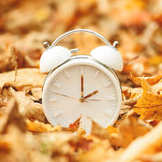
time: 2:00
